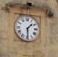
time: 1:29
